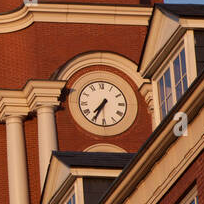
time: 7:34
